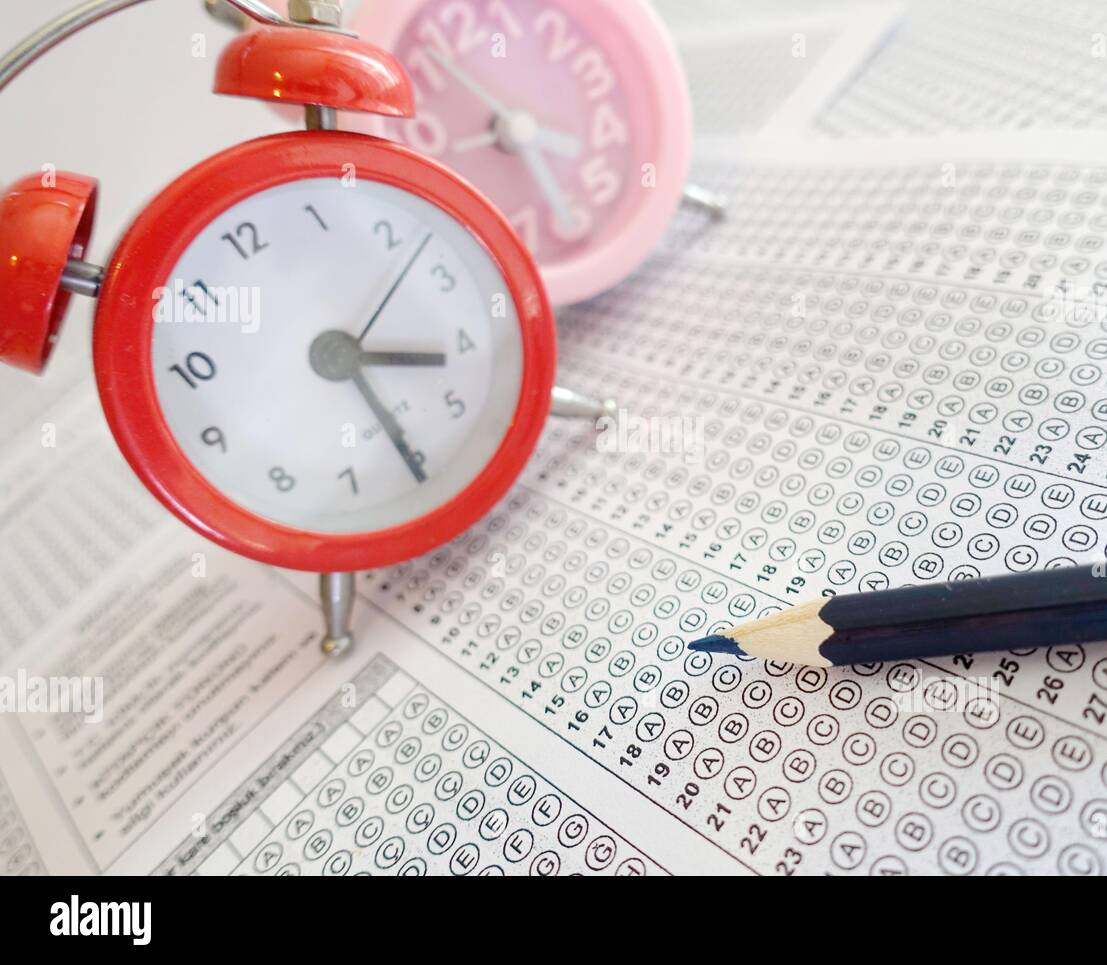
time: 3:25
